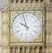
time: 9:57
